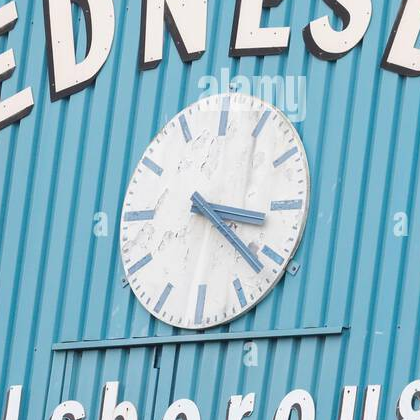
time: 3:21
